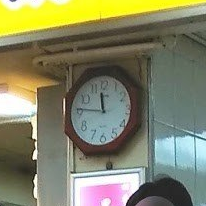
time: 11:45
